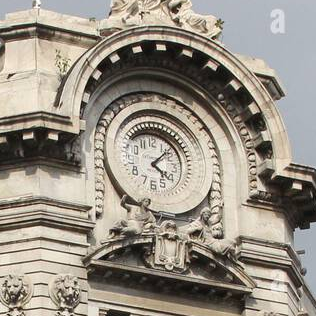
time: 4:07
